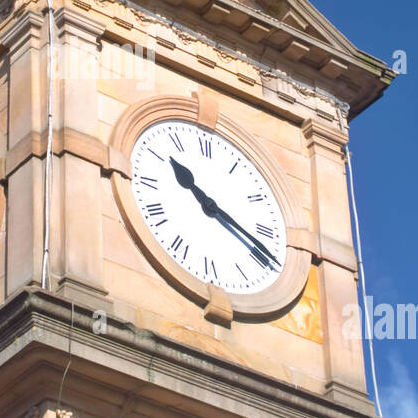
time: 10:18
